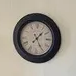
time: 1:25
